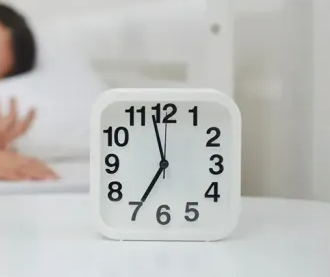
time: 6:57
